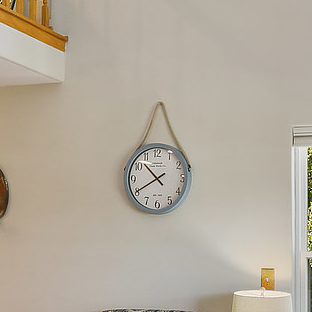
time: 10:40
